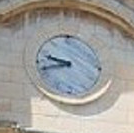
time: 9:42
